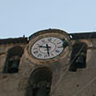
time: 9:27
